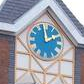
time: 1:59
